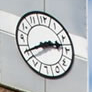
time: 2:40
